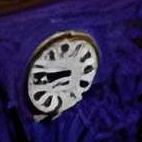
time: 8:47
